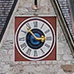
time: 2:53
